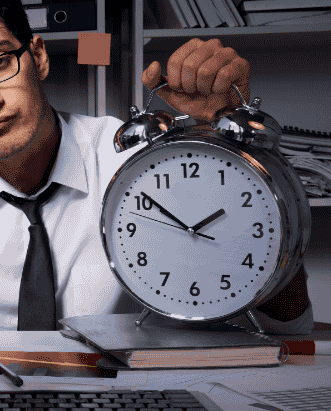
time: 1:51
